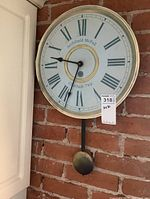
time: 9:33
